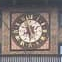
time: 7:57
